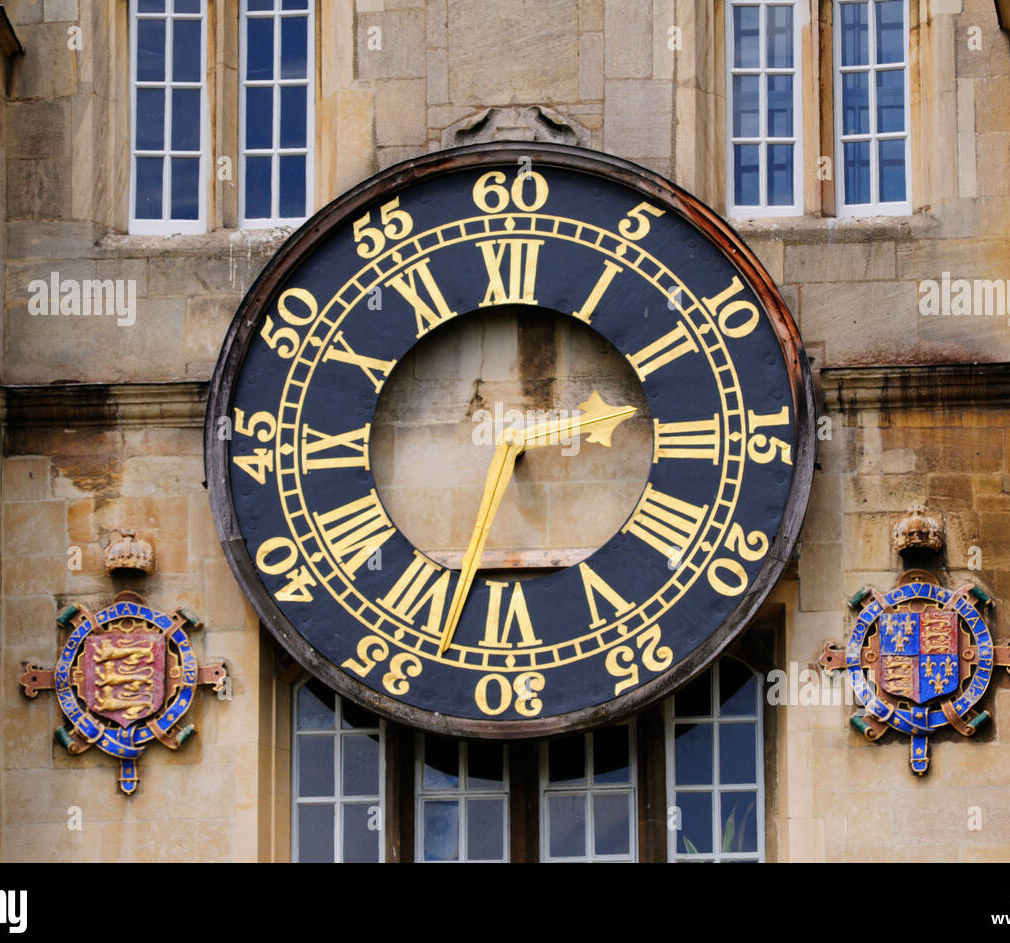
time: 2:33
